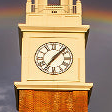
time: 7:07
